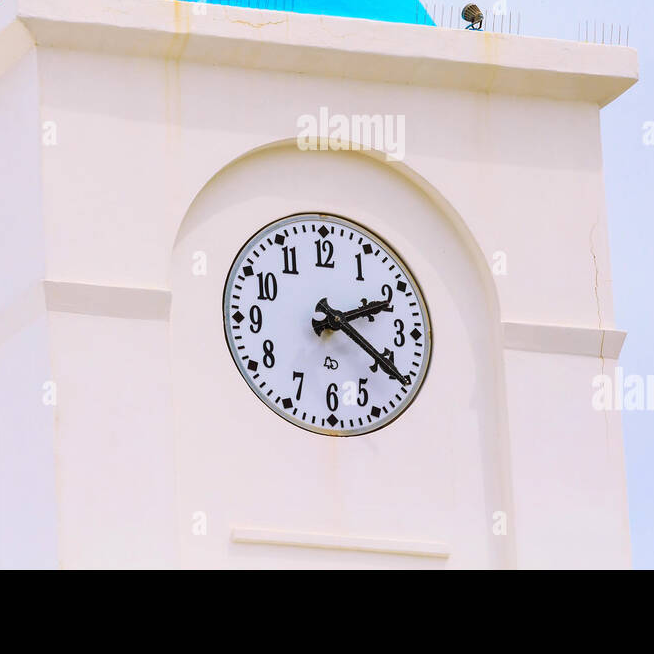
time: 2:20
